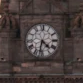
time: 4:32
